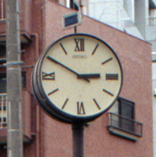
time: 2:49
